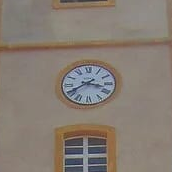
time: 3:40
